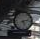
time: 5:12
